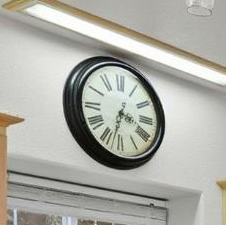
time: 3:32
